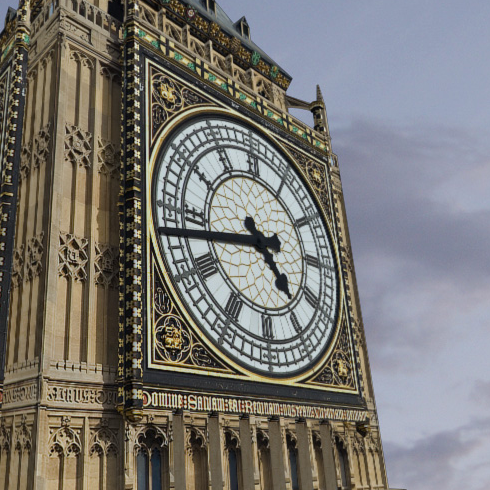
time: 4:43
